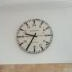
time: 9:35
